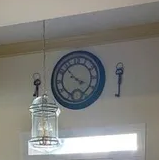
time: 3:52
